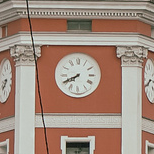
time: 7:40
